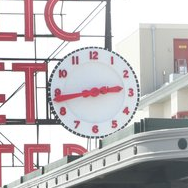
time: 2:43
